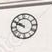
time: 9:50
